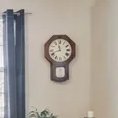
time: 11:41
